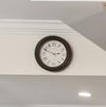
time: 2:48
